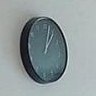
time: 1:02
